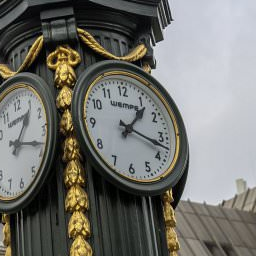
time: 1:17
